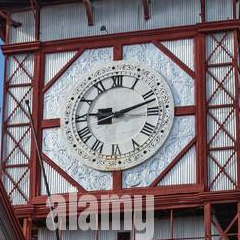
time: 9:12
